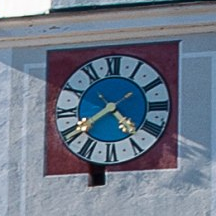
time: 4:39
